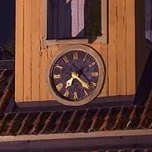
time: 7:22
